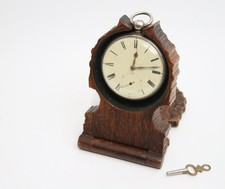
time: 12:13
